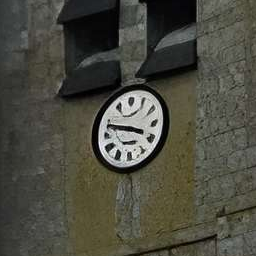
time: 3:48
